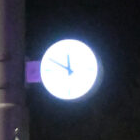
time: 11:49
